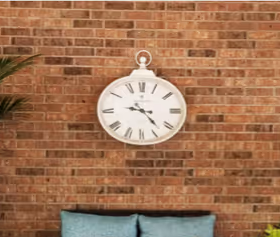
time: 9:22
